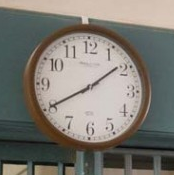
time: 1:40
